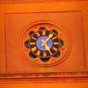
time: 1:24
